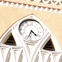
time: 4:33
